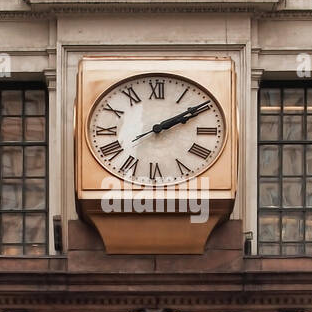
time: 2:09
